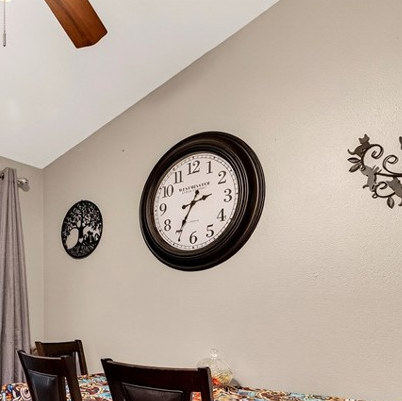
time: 2:35
